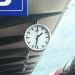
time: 1:32
